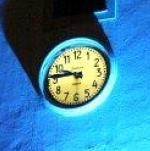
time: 9:45
